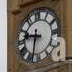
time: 9:32
